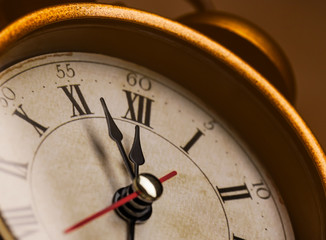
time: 11:56
